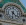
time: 4:31
